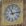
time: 11:13
